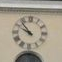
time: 9:53
